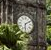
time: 6:10
